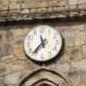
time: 11:36
